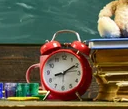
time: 8:09
